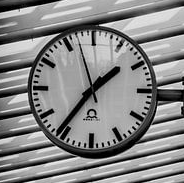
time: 1:36
